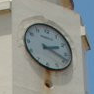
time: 2:18
